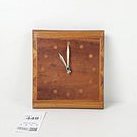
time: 11:00
